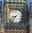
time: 8:36
